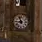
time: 8:56
